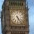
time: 5:23
